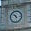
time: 10:52
